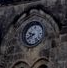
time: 9:40
